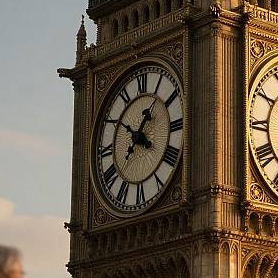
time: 12:50
